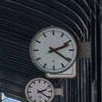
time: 2:21
